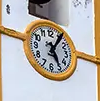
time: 5:05
